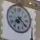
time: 7:20
